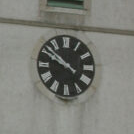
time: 9:51
